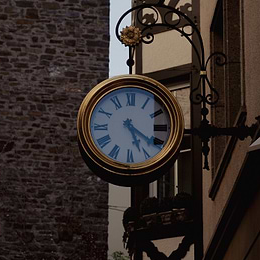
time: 5:20
